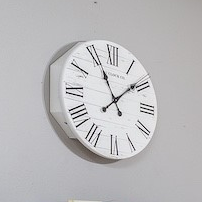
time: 11:08
